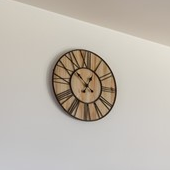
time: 12:52
